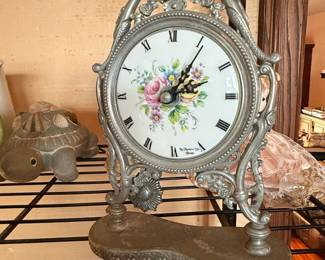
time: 2:05
